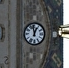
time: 12:58
